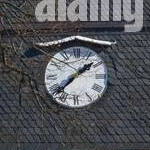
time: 1:37
